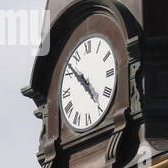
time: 4:52
